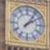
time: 2:06
